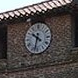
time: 10:32
